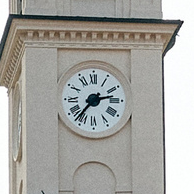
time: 2:36
